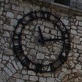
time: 11:13
